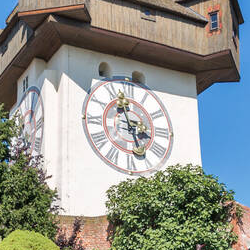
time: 4:57
